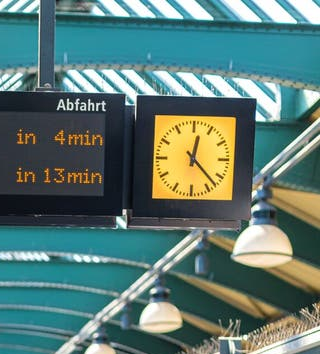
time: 12:22
